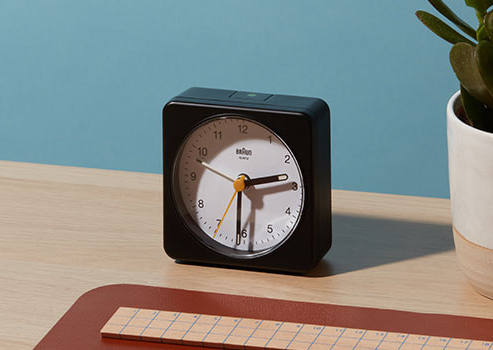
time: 2:30
